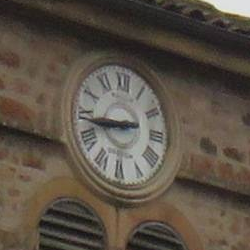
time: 8:43
